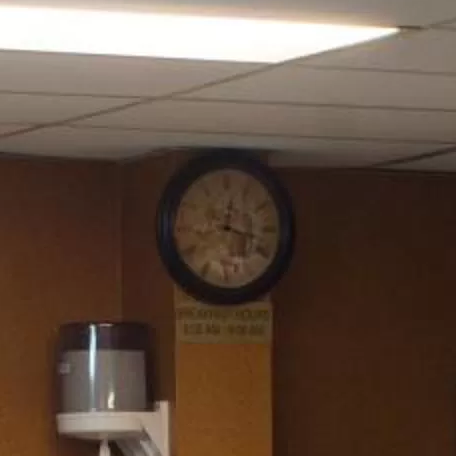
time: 12:18
